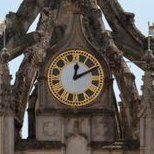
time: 12:10
